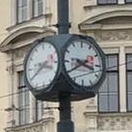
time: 3:40
